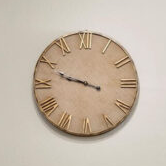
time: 9:48
